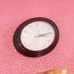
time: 3:13
